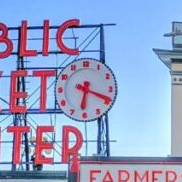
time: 6:18
